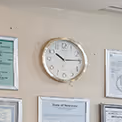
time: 10:14
